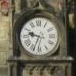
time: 9:34
